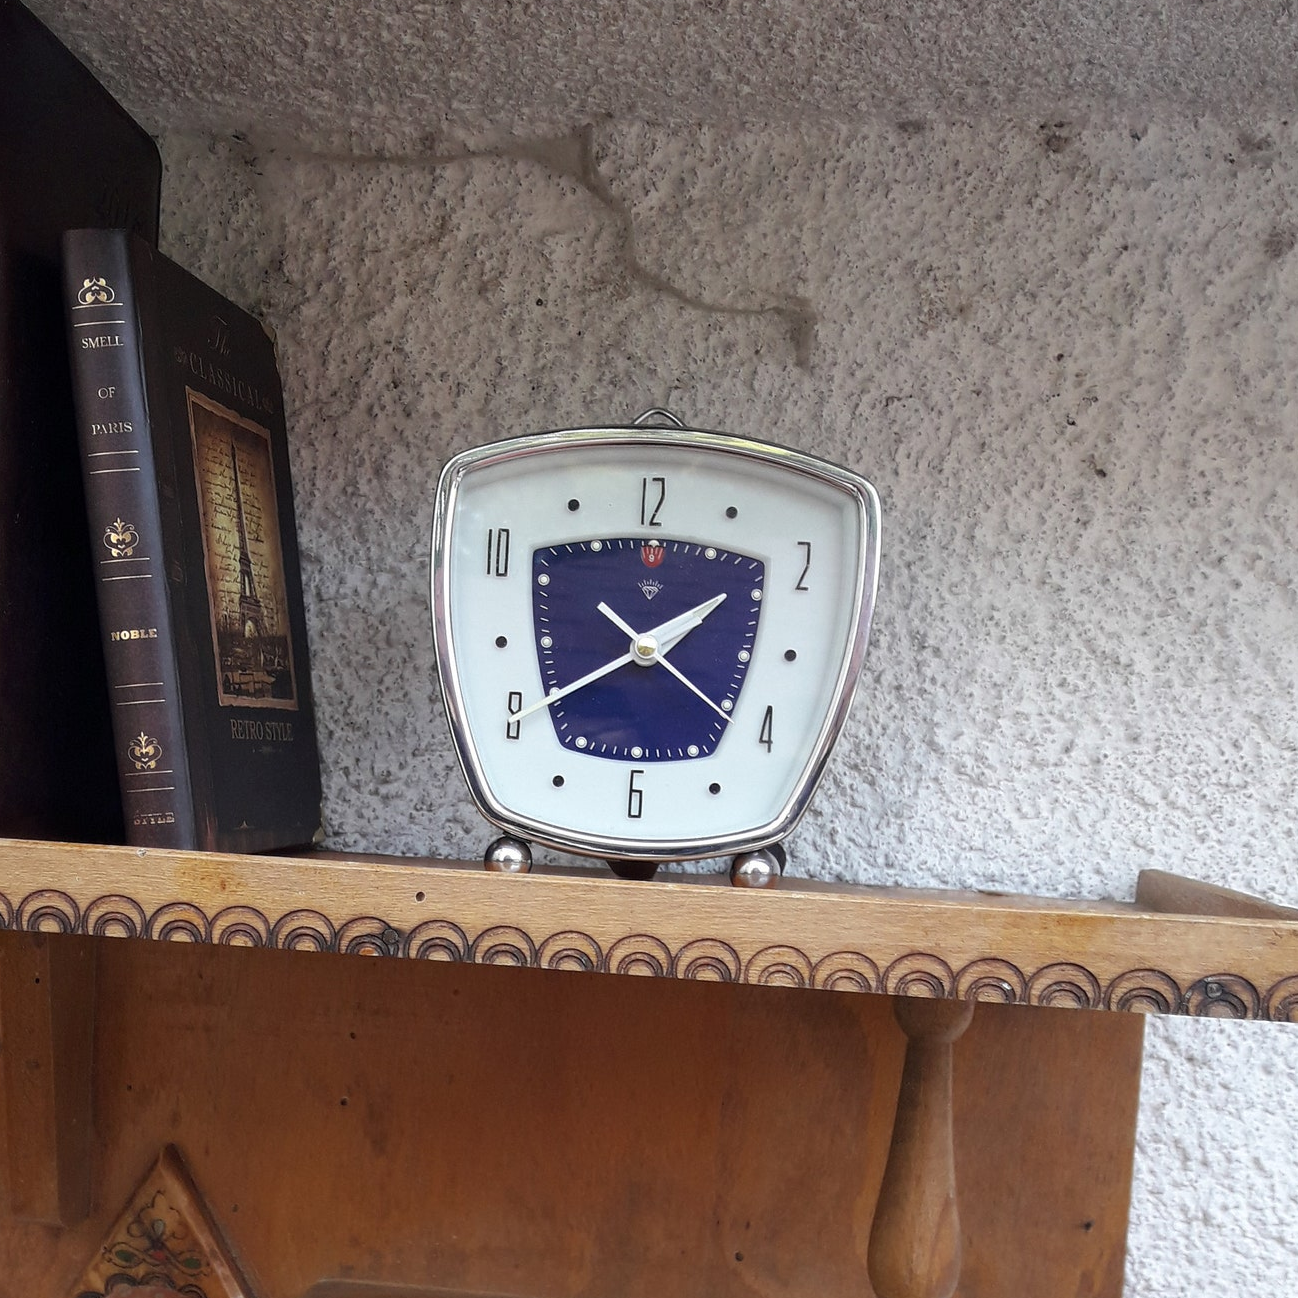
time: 1:39
